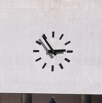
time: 2:54
